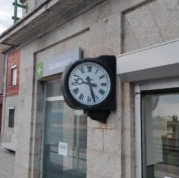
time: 9:27
